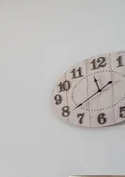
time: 11:38
